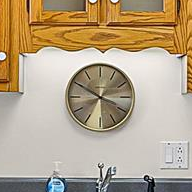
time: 3:49
